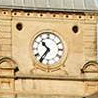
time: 10:36
